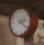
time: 2:21
